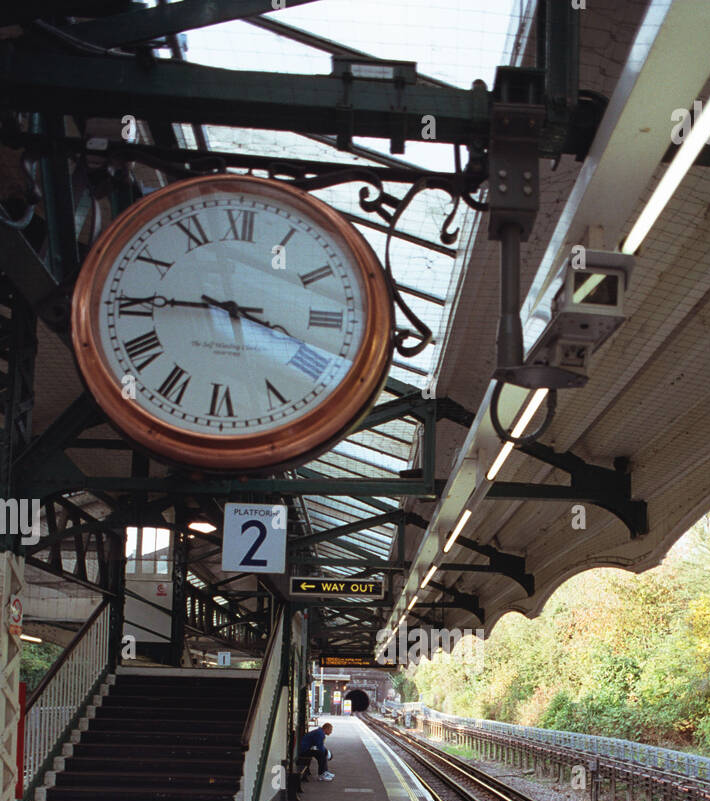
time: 3:45
